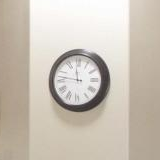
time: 11:46
